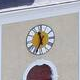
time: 11:35
